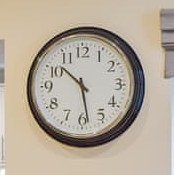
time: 10:28
